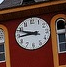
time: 8:48
